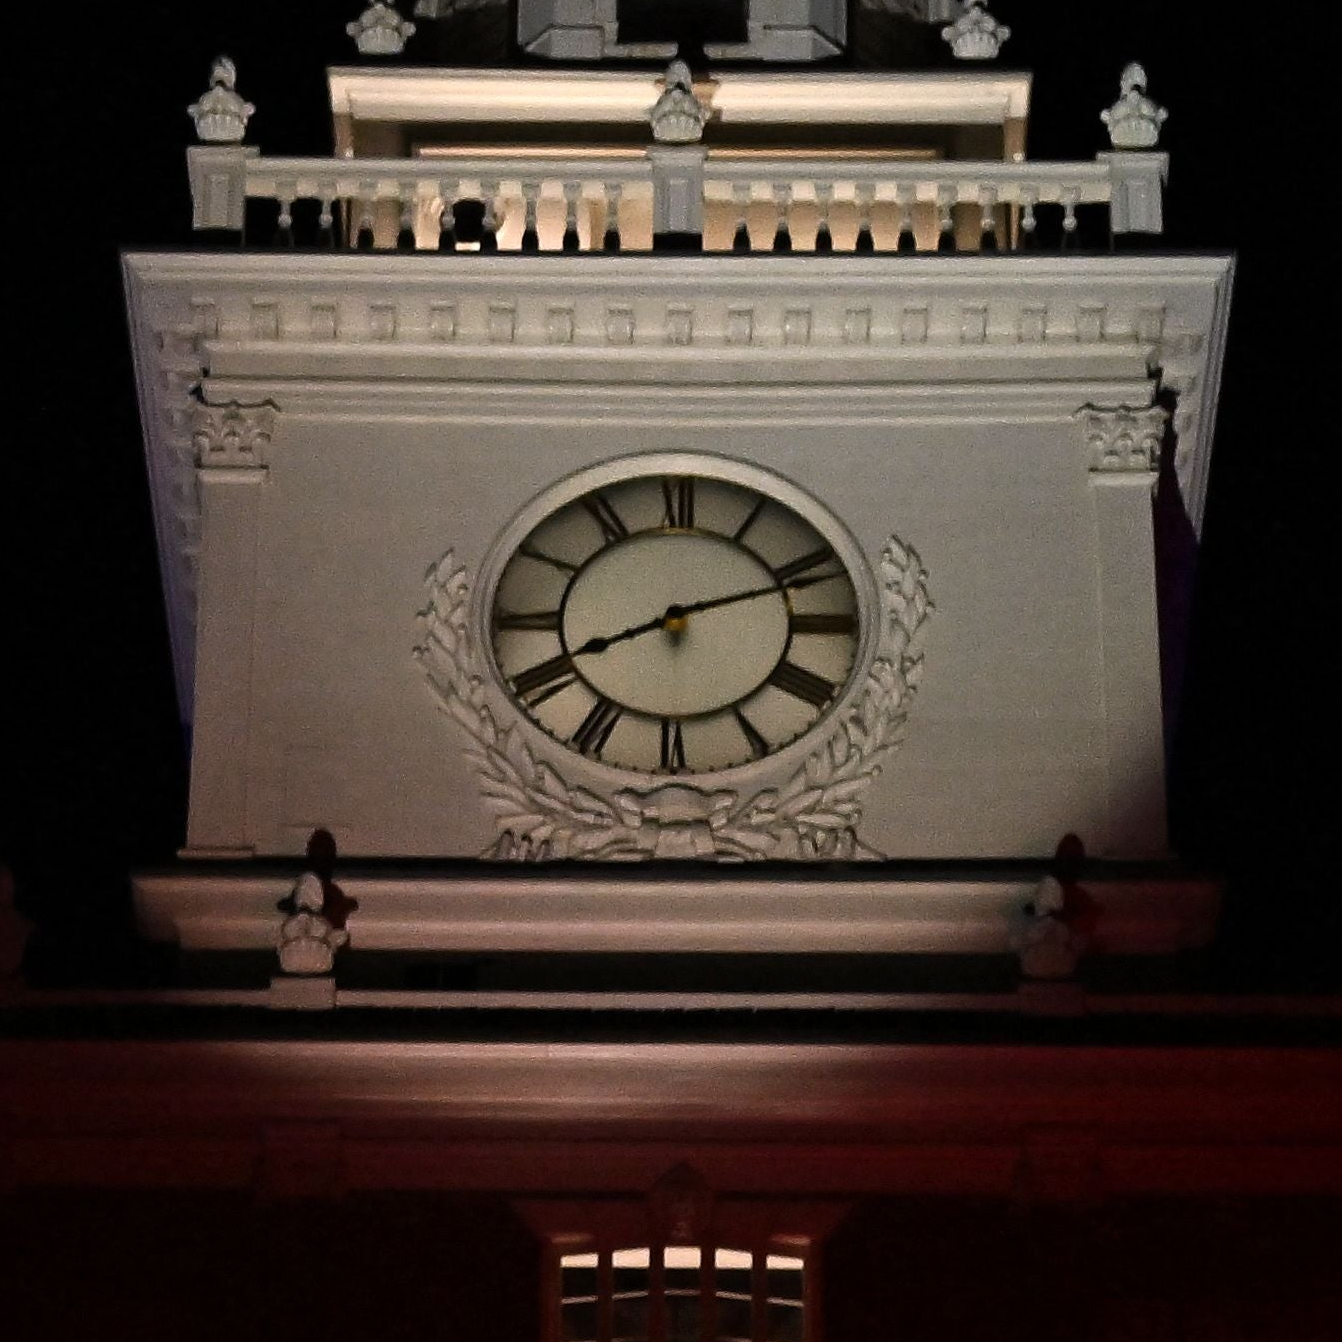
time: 8:11
